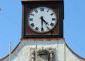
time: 4:29
